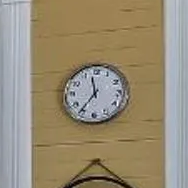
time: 11:36
